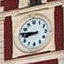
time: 8:46
